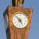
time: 4:52
